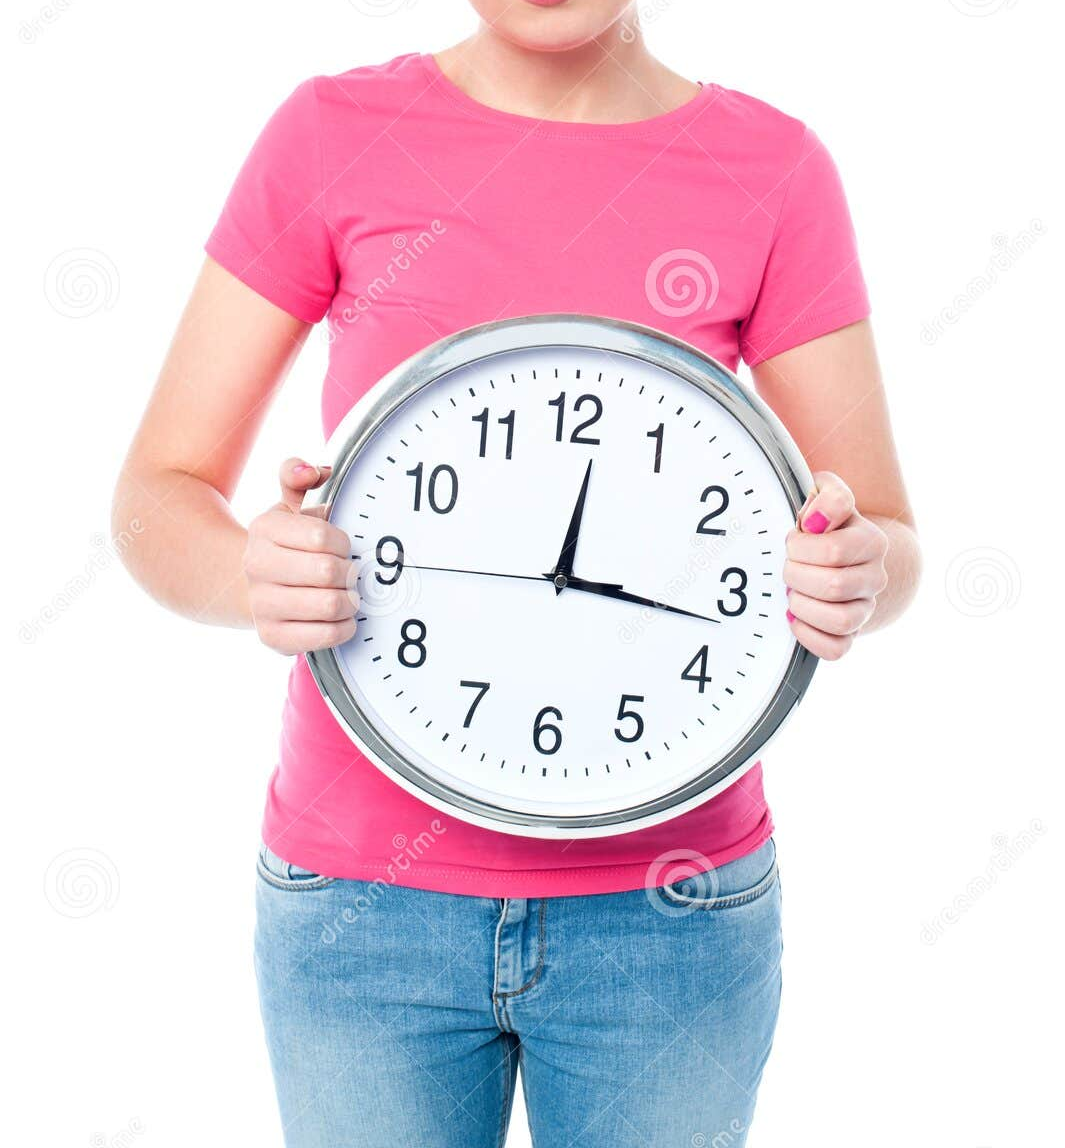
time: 12:16
